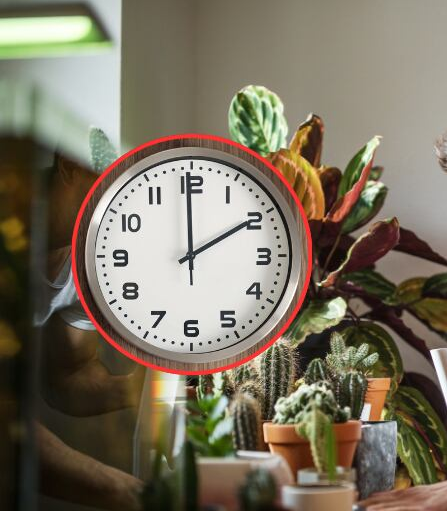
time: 1:59
